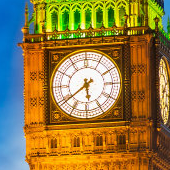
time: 5:38
